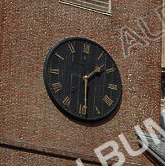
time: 1:29
